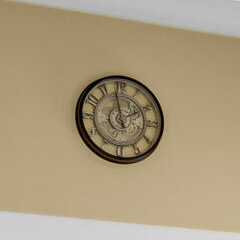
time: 1:58
